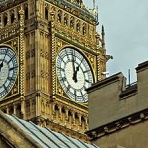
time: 12:58
